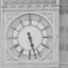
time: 5:27
